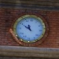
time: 10:49
